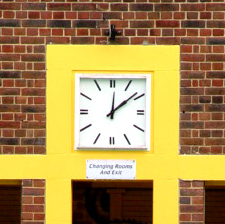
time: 12:08
